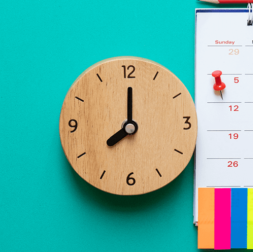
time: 8:00
